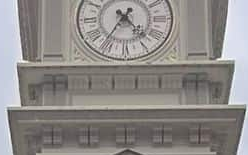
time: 4:36
